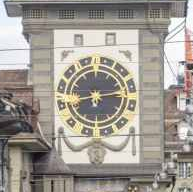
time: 2:42
